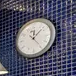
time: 12:07
